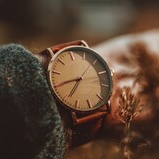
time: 6:40
